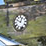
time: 12:49
